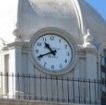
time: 10:41
